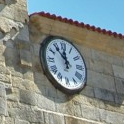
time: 11:53
